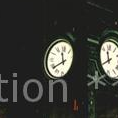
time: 11:38
